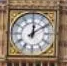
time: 12:09
